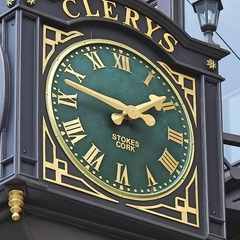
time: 1:47
